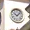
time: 10:07
